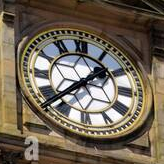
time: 1:37
